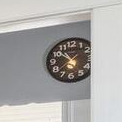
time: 10:37
